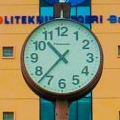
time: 10:37
